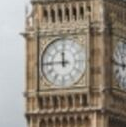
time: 11:44
